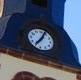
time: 7:04
